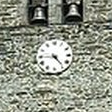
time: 4:45
